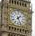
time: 1:26
